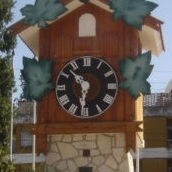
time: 10:31
